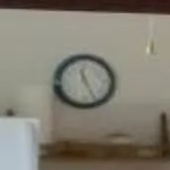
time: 11:25
